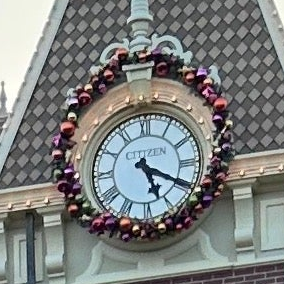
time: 5:19
